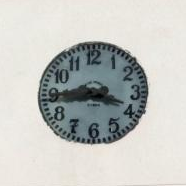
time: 3:44
